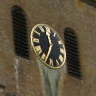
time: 11:34
